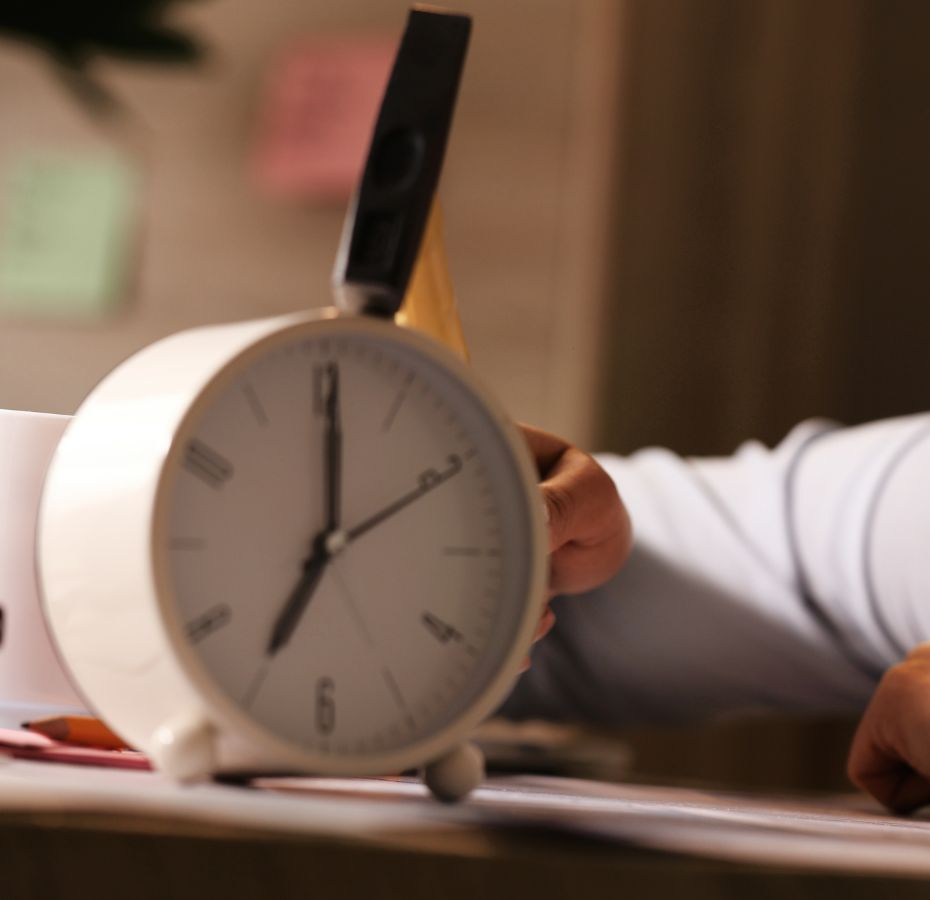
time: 7:00
